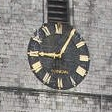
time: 9:05
